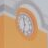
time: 11:32
